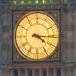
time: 4:15
